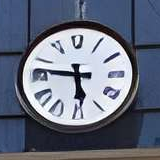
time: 5:46
